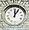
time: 12:06
